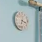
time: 3:32
